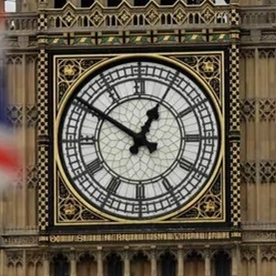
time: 12:50
